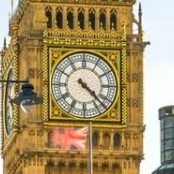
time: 4:22
